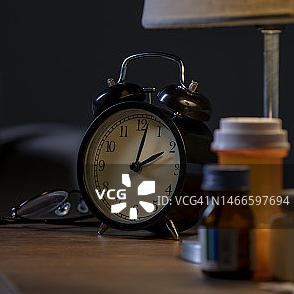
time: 2:02
